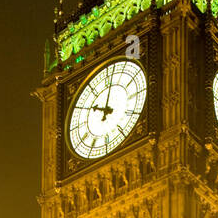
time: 10:02
